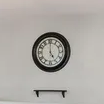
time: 5:00
